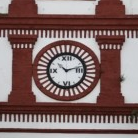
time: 10:12
